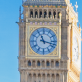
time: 11:17
